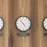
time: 4:52
